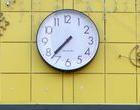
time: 7:37
